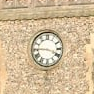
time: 3:45
